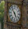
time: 4:52
